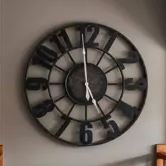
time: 4:59
